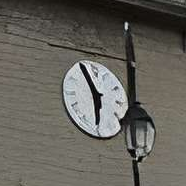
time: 5:55
